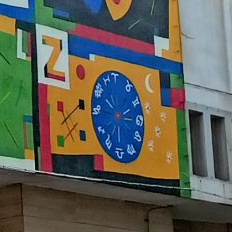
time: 2:15
